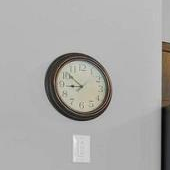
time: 8:51
